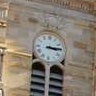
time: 3:14
